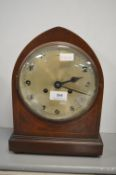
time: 2:18
